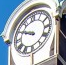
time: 9:49
